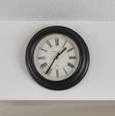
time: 1:35
